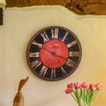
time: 3:49
